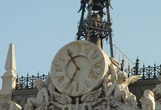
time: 6:54
